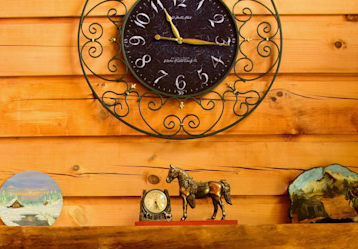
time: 11:16
